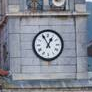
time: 12:55
